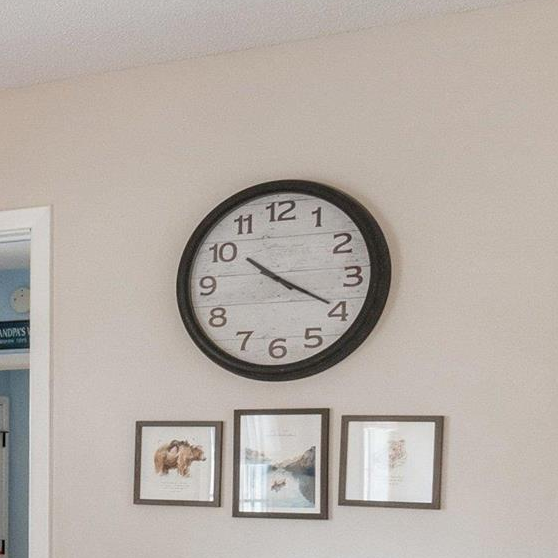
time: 10:19
